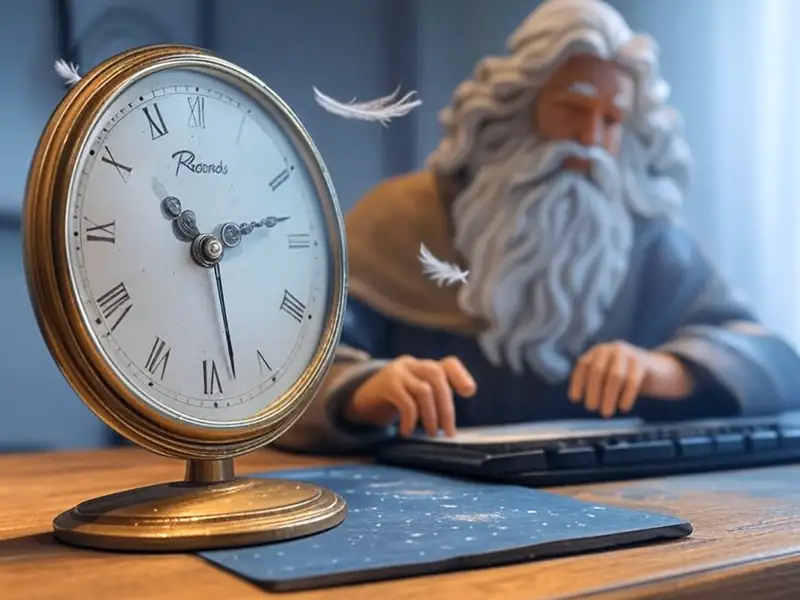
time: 10:12
